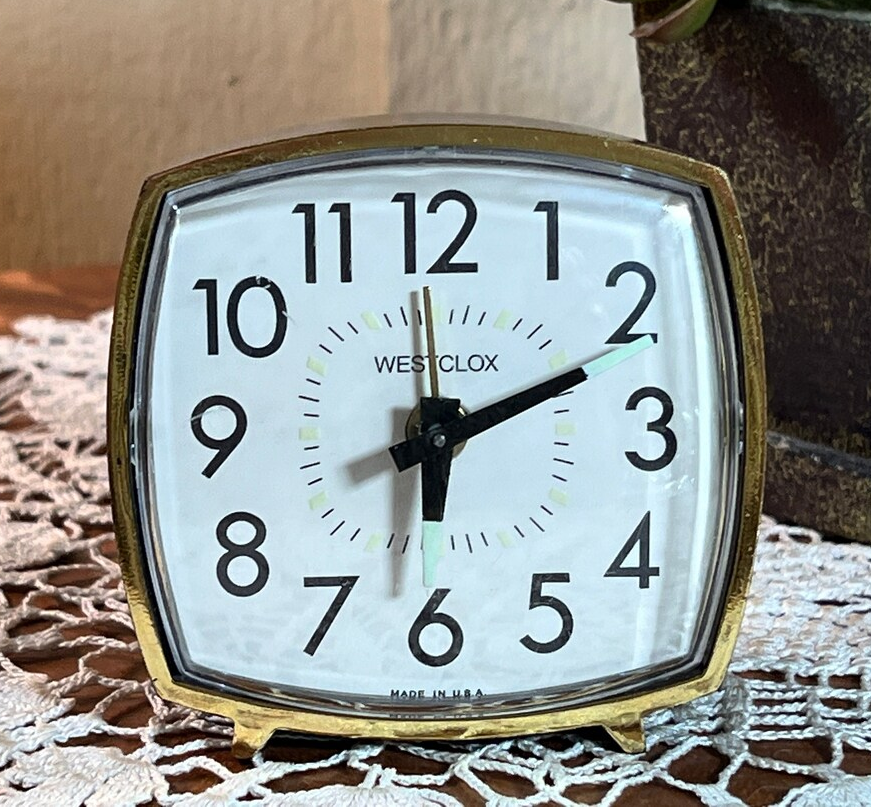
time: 6:11
